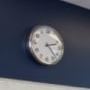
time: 2:22
